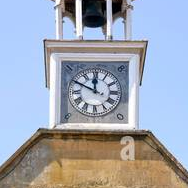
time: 11:49
